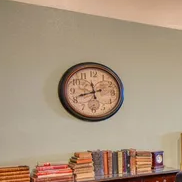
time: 11:42
